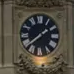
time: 1:38
